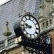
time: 9:42
